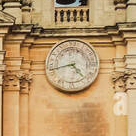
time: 4:42
